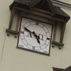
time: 4:48
